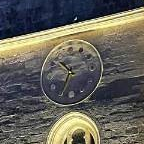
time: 10:34
